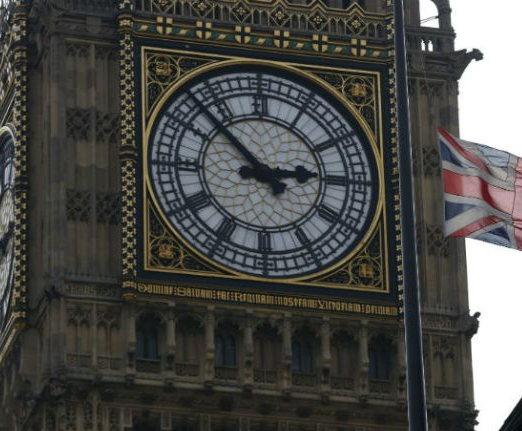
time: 2:52
